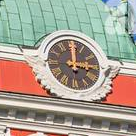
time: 3:00
